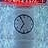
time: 6:55
